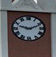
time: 9:11
